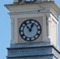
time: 12:53
